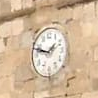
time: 1:47
